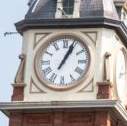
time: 1:04
